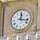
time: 12:16
